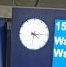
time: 4:14
